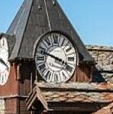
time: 3:48
